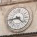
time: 4:42
